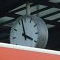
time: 3:58
